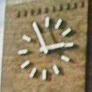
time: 11:13
